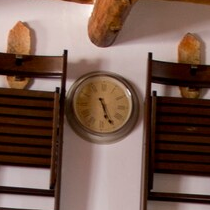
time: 5:26
